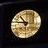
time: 10:47
